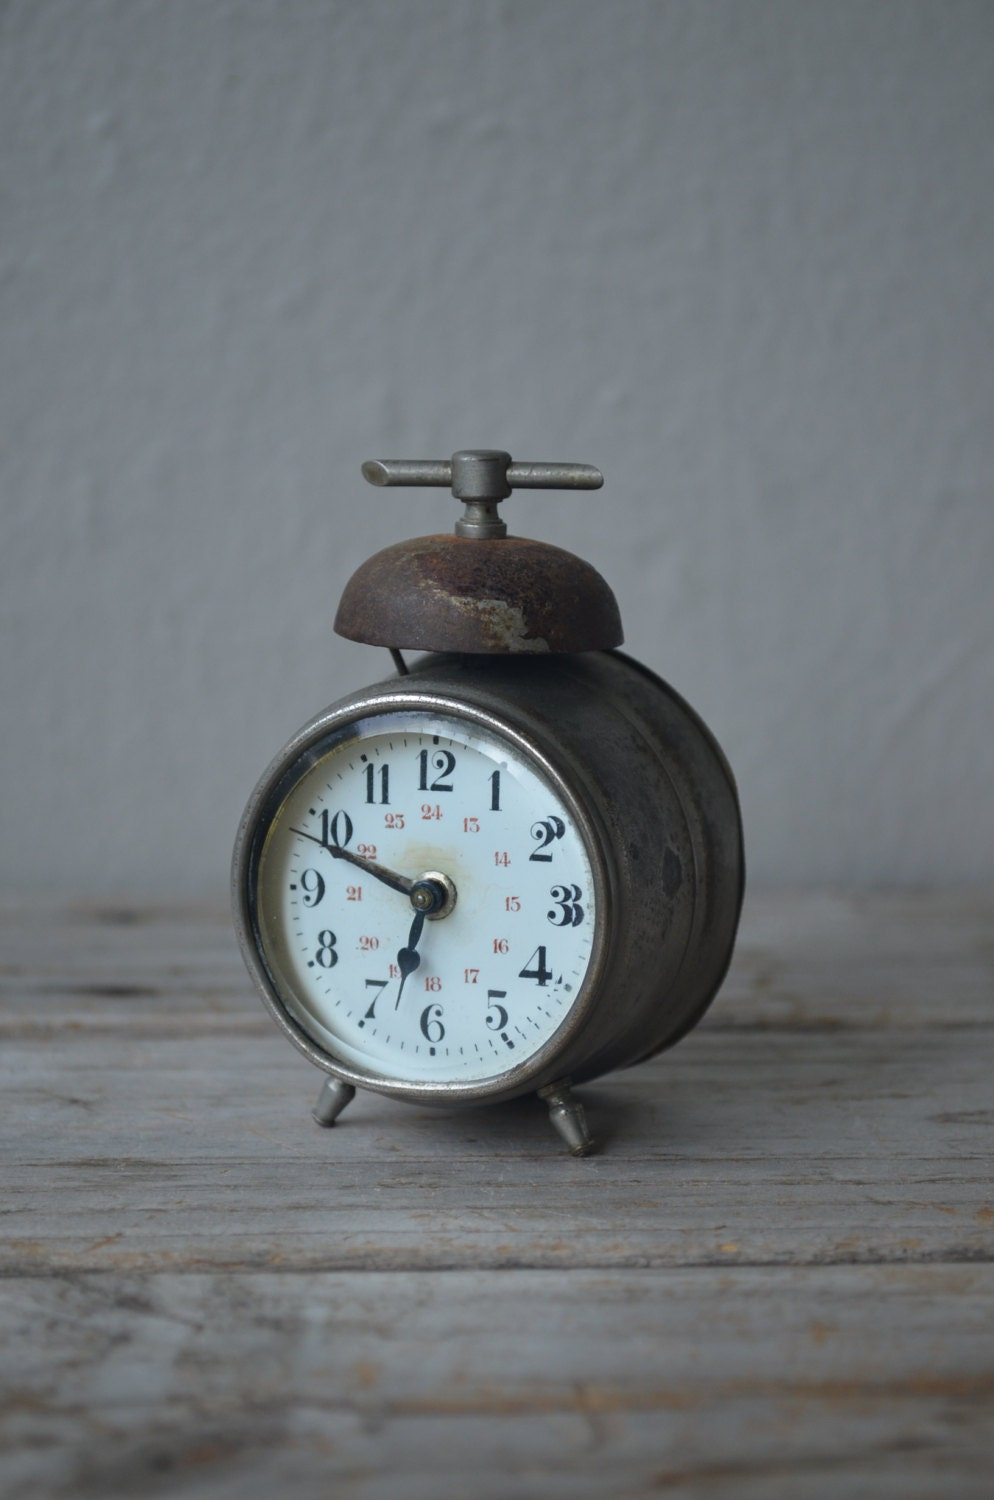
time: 6:48
